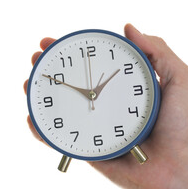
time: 1:50
